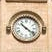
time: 10:21
